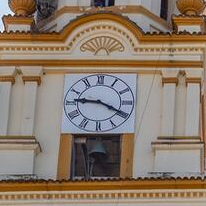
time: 9:19
